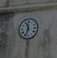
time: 11:33
